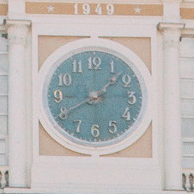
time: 1:40
